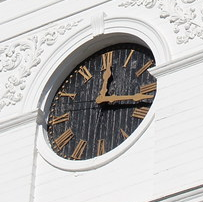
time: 12:17
